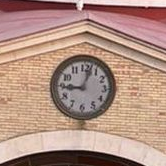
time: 9:02
